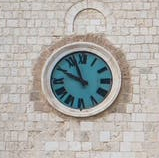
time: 9:56
